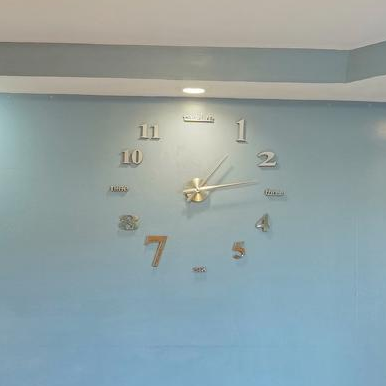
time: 1:13
